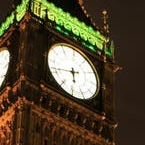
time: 5:41
